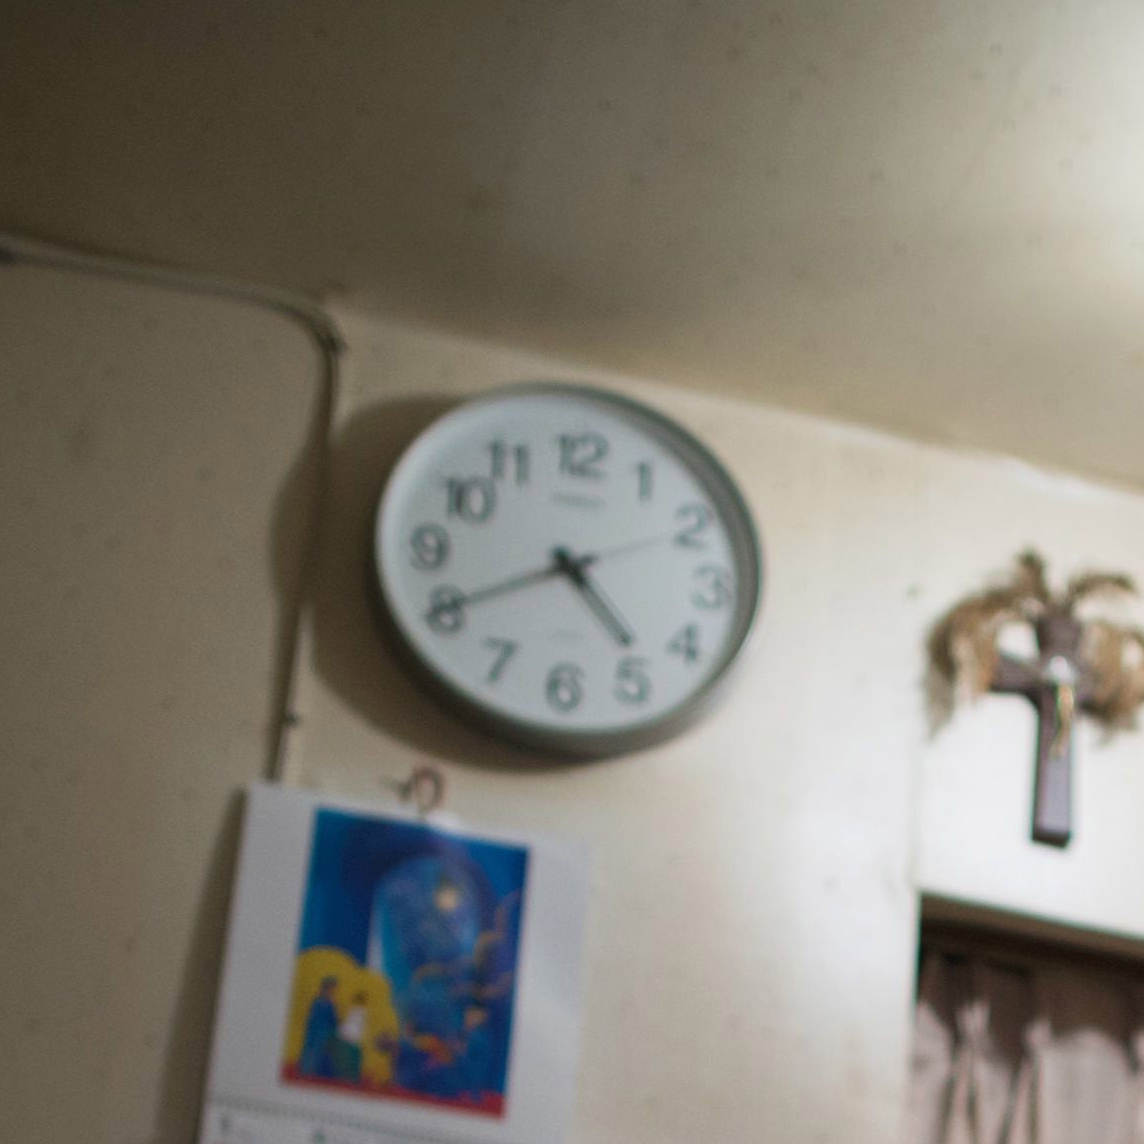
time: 4:40
